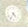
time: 4:34
